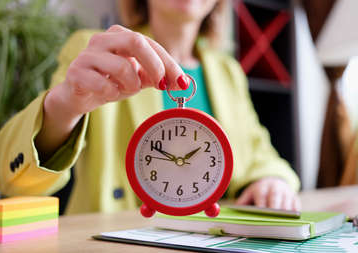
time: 1:49
